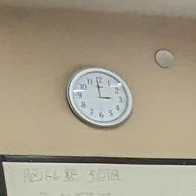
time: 2:59
